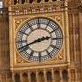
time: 2:41
